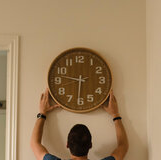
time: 9:30
